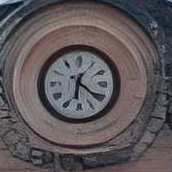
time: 6:21
